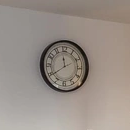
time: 11:39
